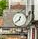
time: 12:38
